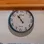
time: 10:53
